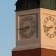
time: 7:43
